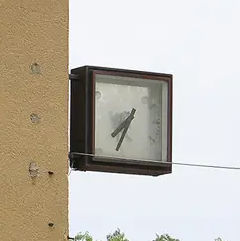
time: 7:34
